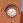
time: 7:37
